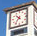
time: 10:36
